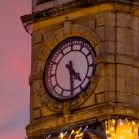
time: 4:29
